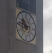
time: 10:45
